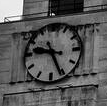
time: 9:26
